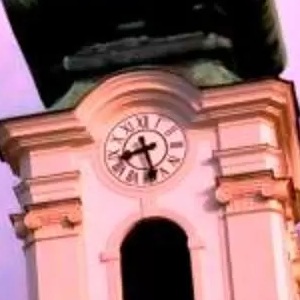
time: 8:27
